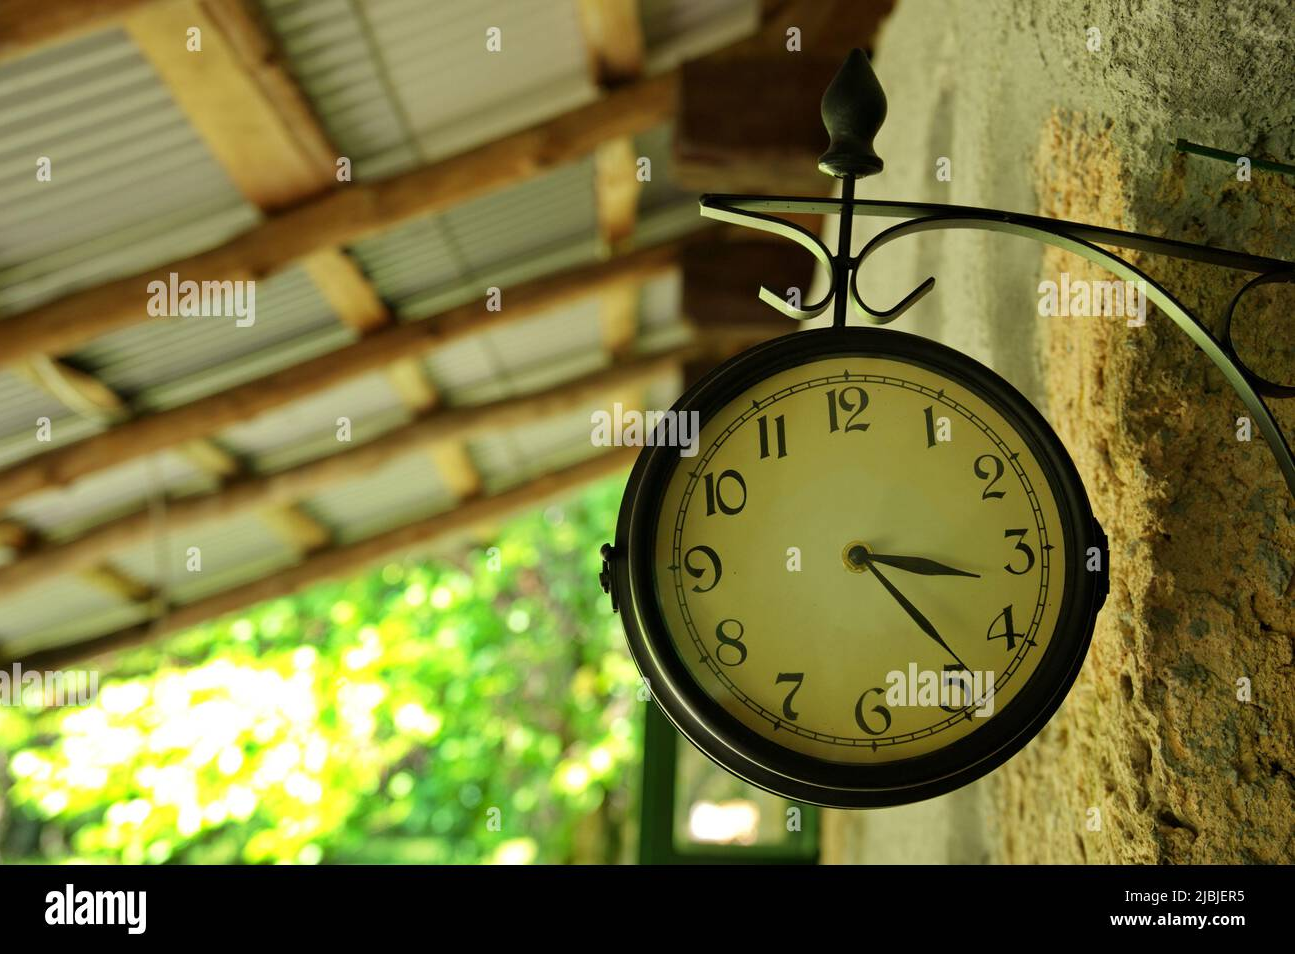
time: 3:23
